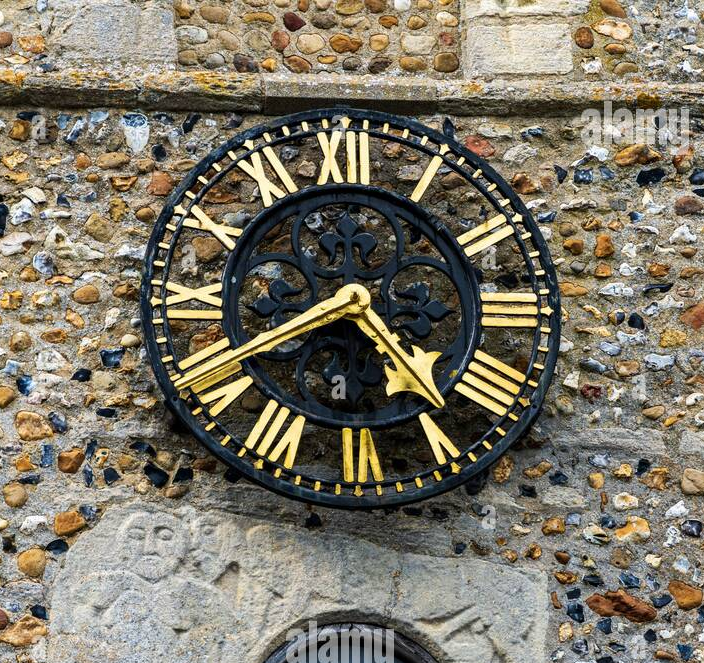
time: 4:40
